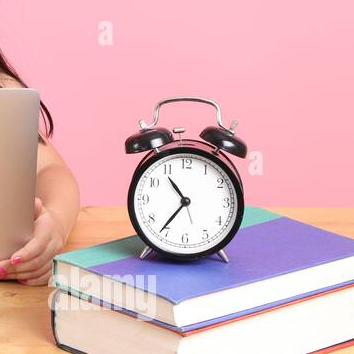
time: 10:36
